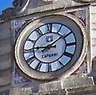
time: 9:09
